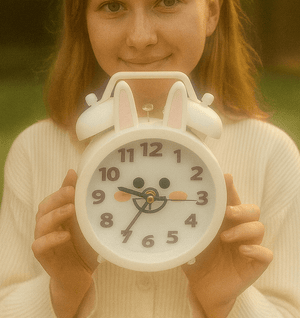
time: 9:15
